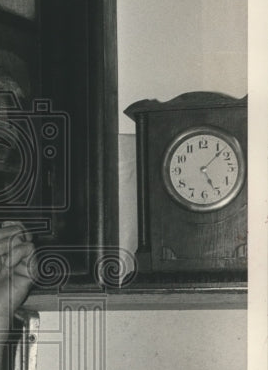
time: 5:08
